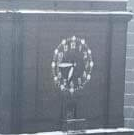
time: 6:44
